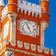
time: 4:56
